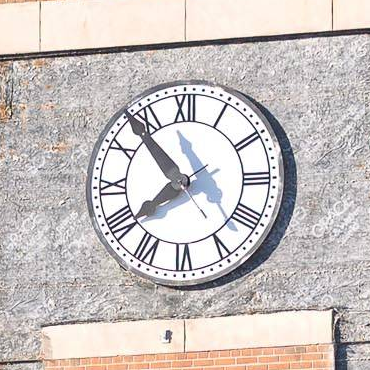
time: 7:53
